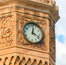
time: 12:18
